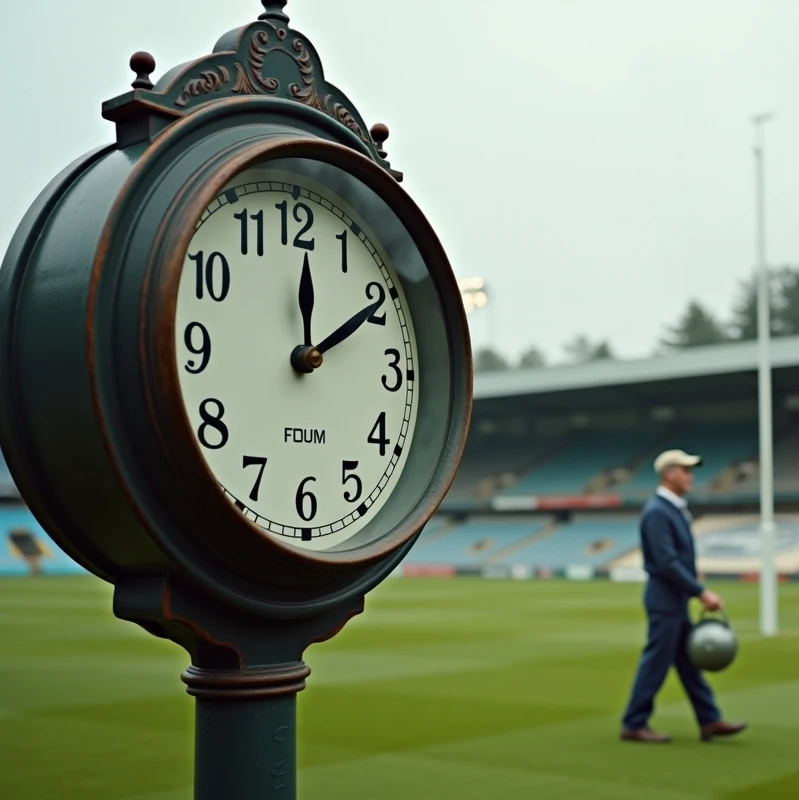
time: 12:09
